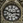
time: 2:48
